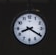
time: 8:20
